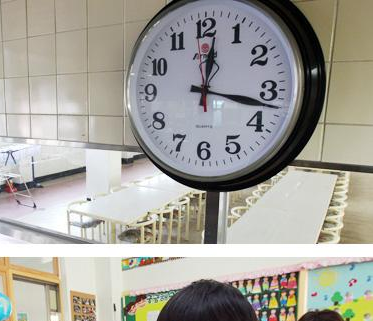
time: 12:16
